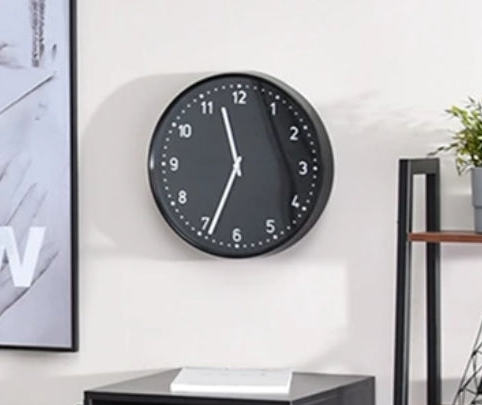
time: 11:33
